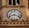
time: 8:18
